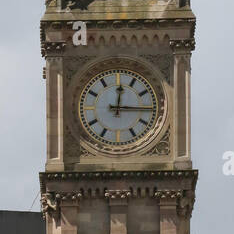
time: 12:15
